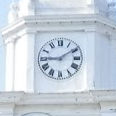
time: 9:09
